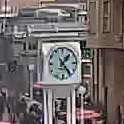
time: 1:23
